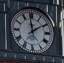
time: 1:58
